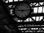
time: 9:16
